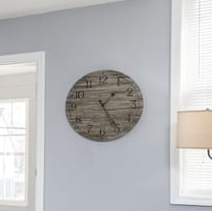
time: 1:24
